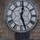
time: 12:26
